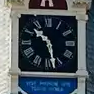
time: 10:28
